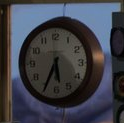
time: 5:34
